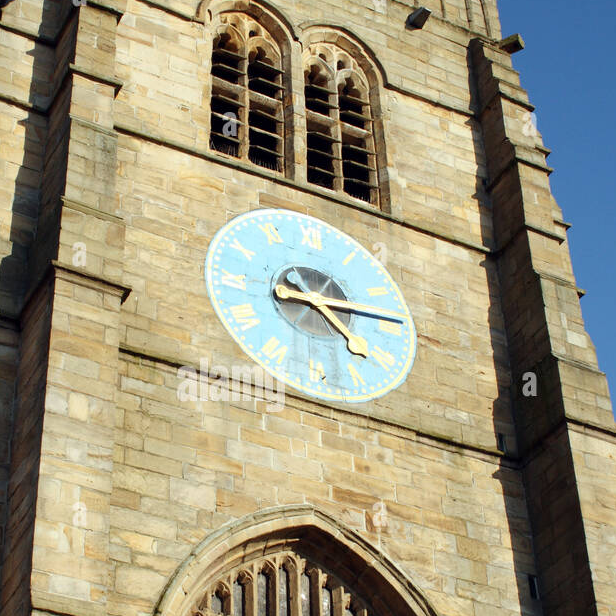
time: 4:14
